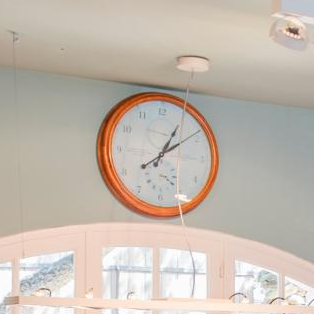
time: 1:09
